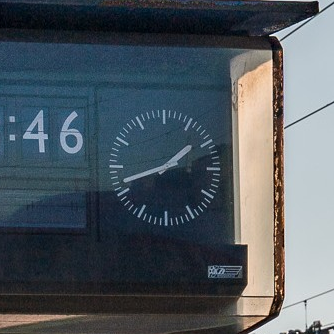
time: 1:42
